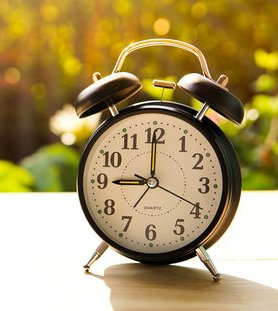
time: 9:00
